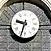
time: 9:33
